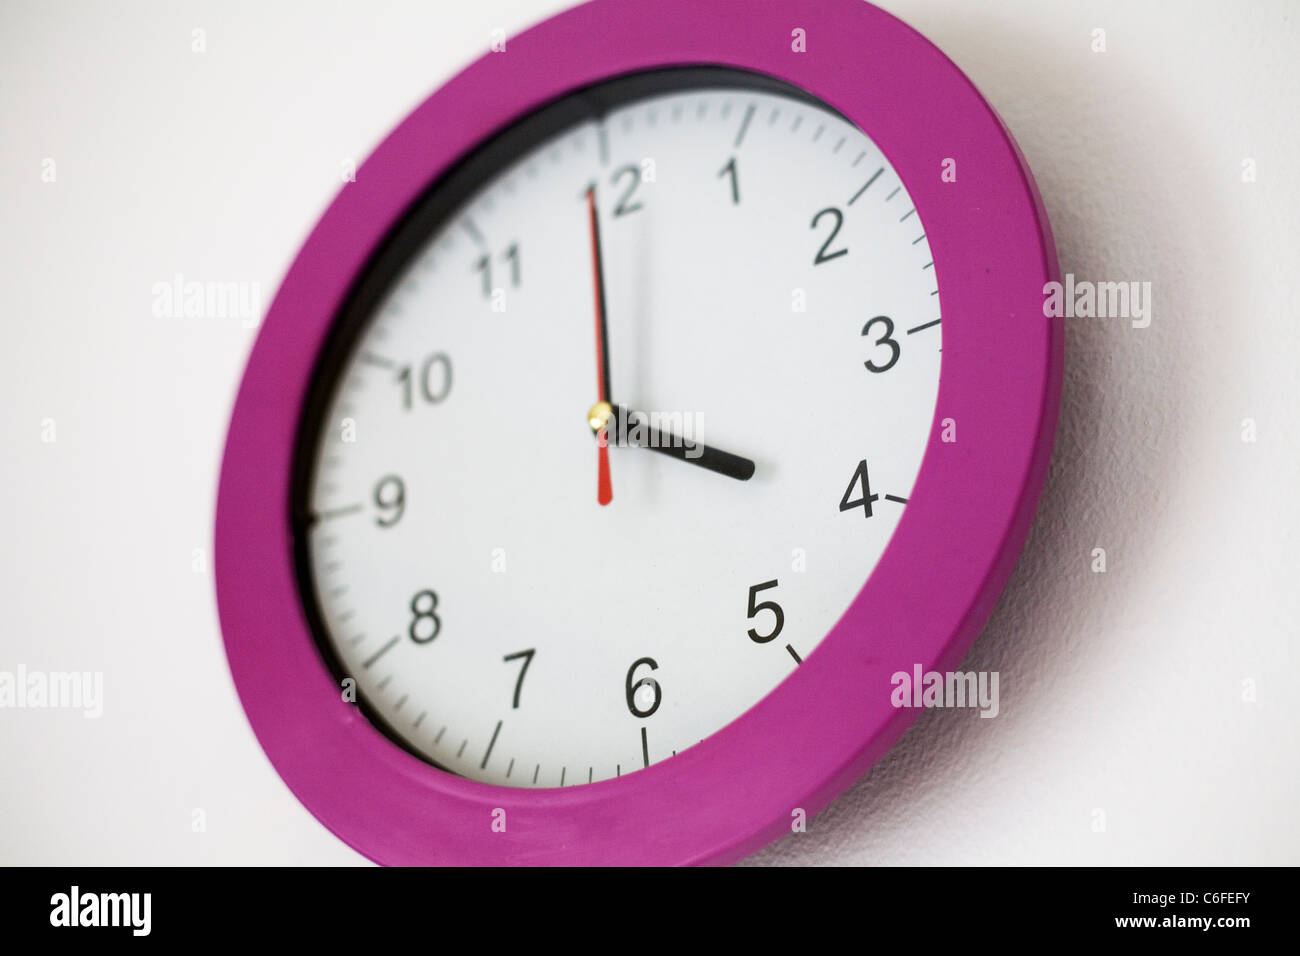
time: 3:59
